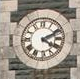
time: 4:10
